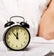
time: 11:53
